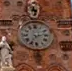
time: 7:12
